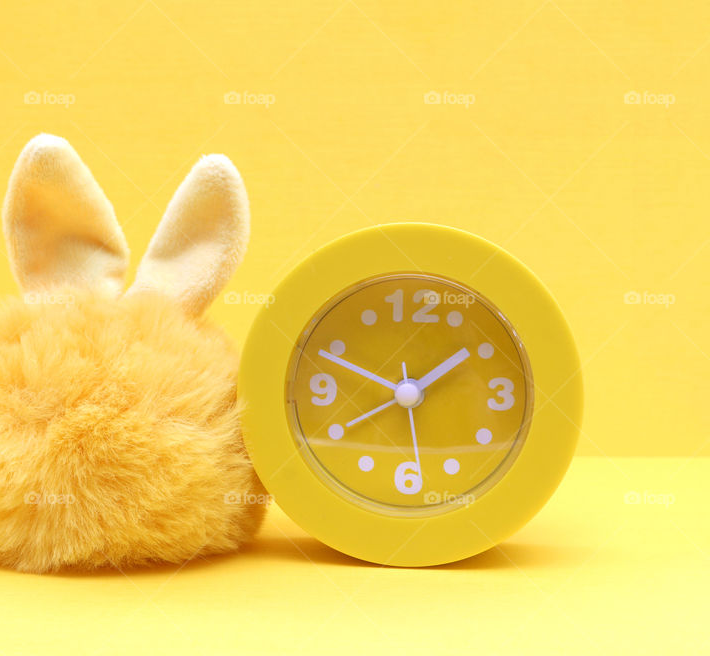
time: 1:48
